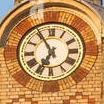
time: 6:55
